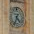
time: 4:34
